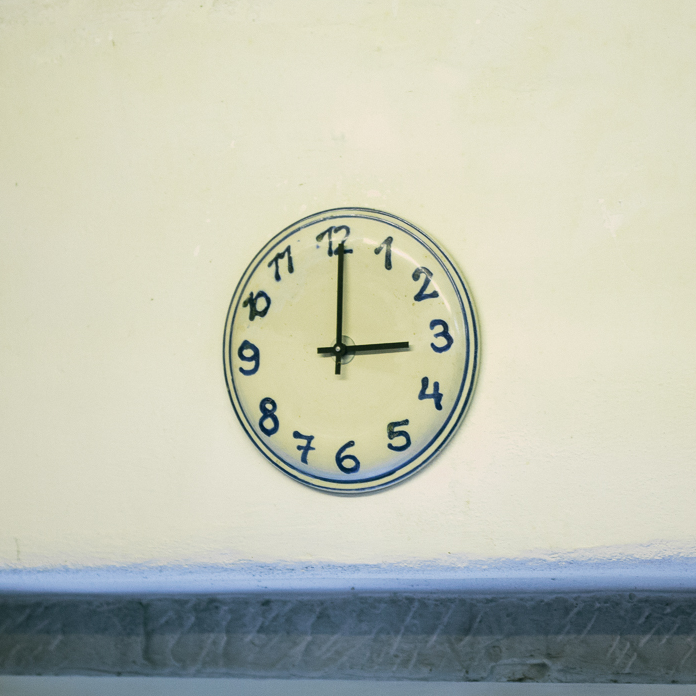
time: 3:01
